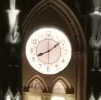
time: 8:08
